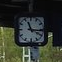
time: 11:16
